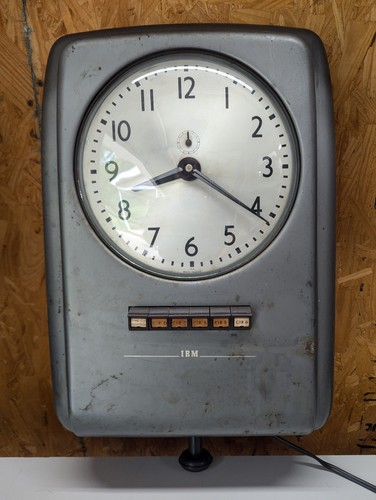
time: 8:20
